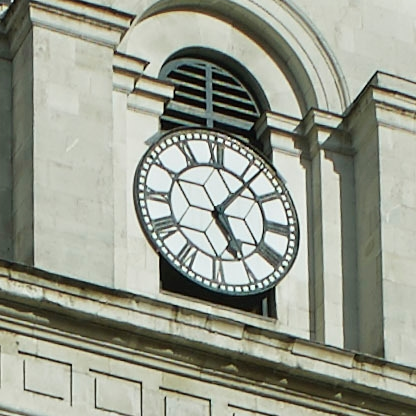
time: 5:06
